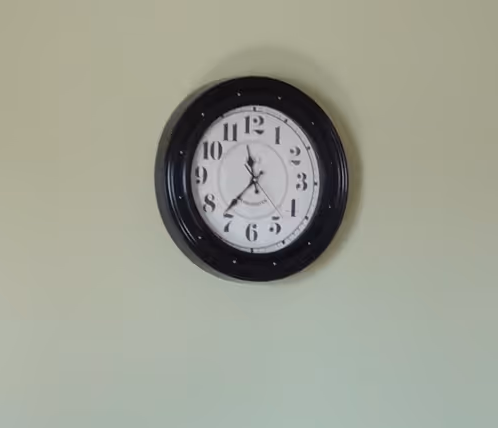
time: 11:36
